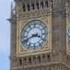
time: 3:41
